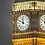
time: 11:50
